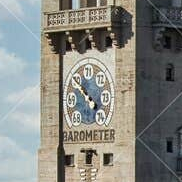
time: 3:50
